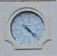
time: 4:22
